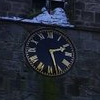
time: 2:27
